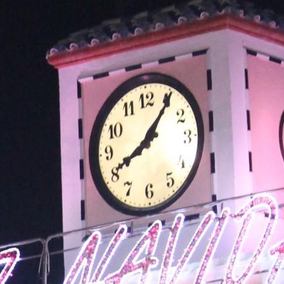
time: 8:05
